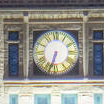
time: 6:33
